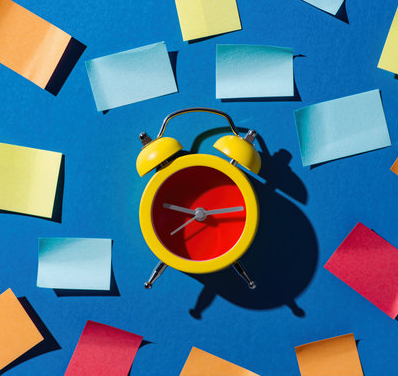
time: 9:14
